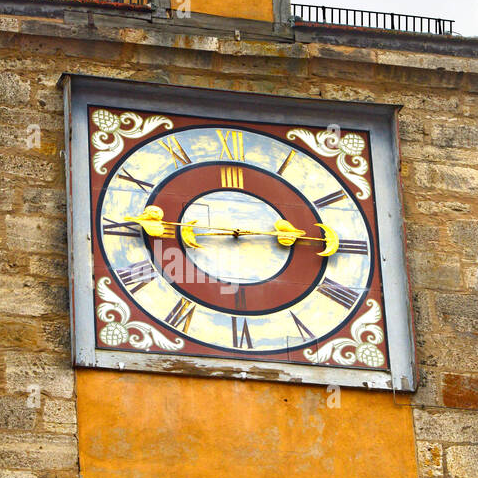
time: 2:44
